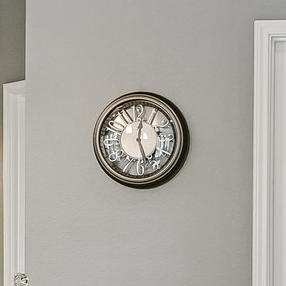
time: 12:27
